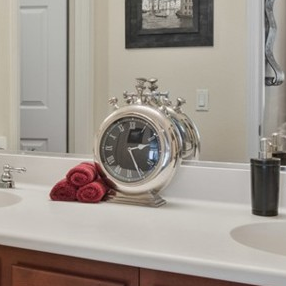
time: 2:25
